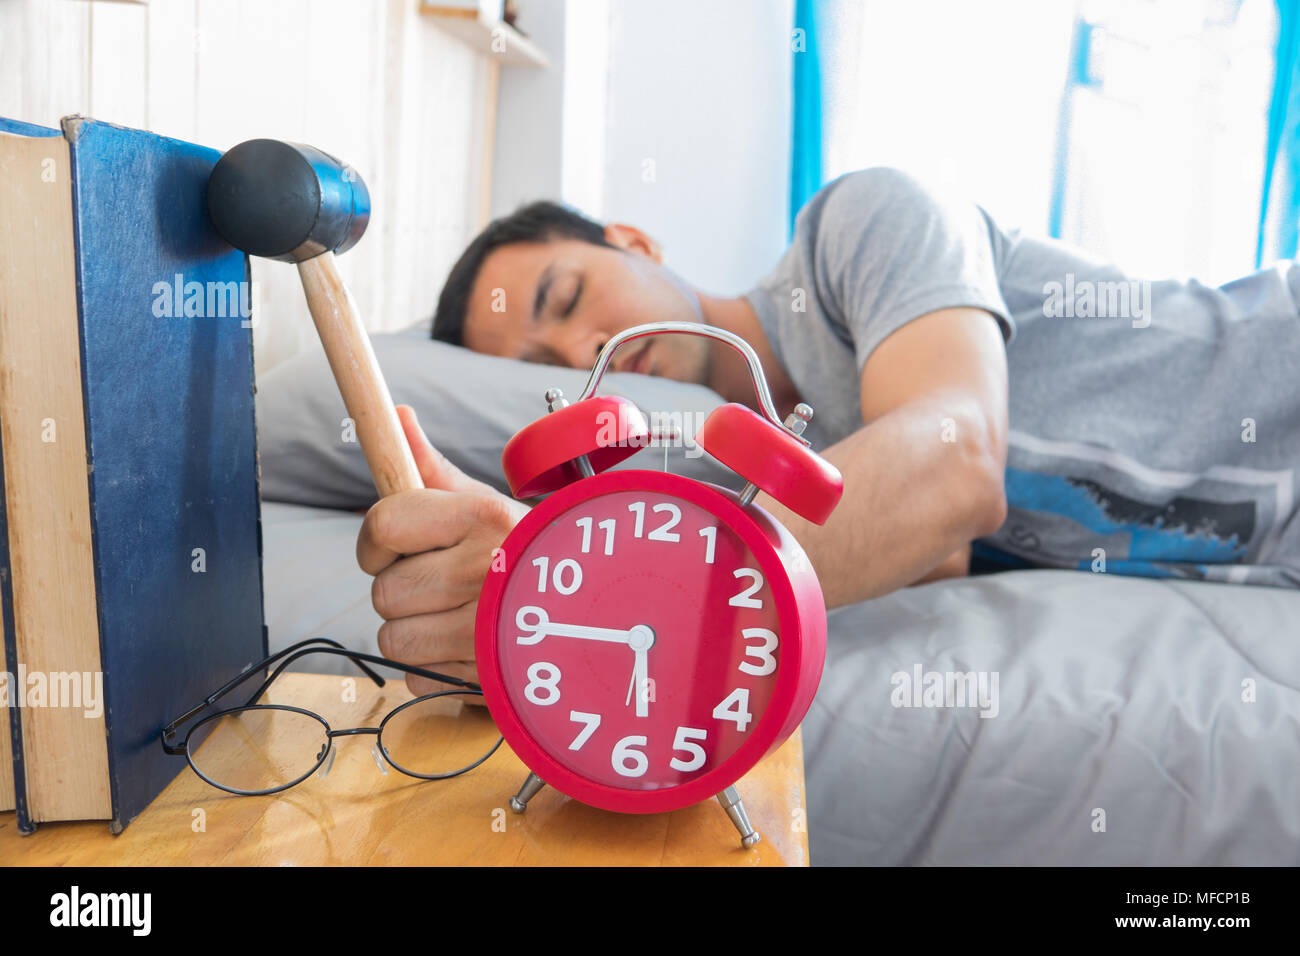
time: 5:45
